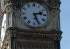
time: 2:26
